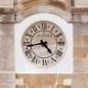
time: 4:42
